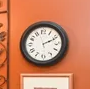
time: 2:11
